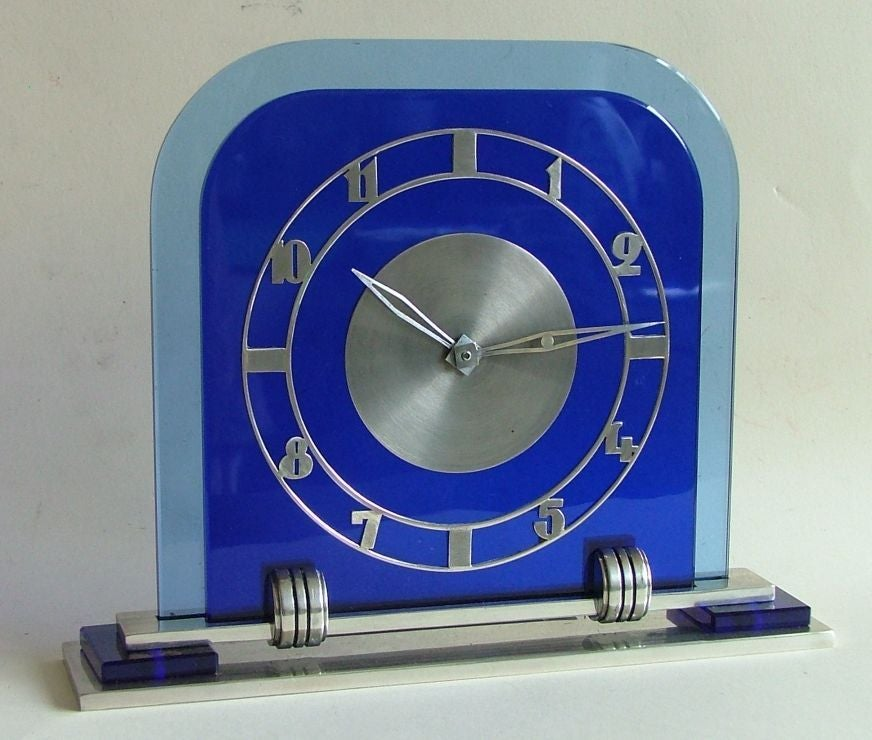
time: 10:14
